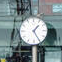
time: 1:24
